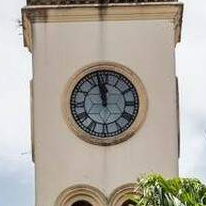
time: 11:57
